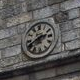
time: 2:40
